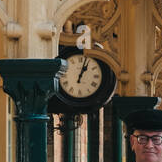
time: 1:02
